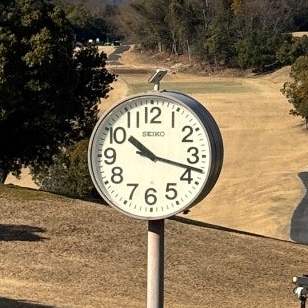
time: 10:17
